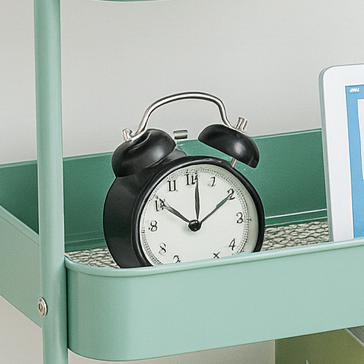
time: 10:01
